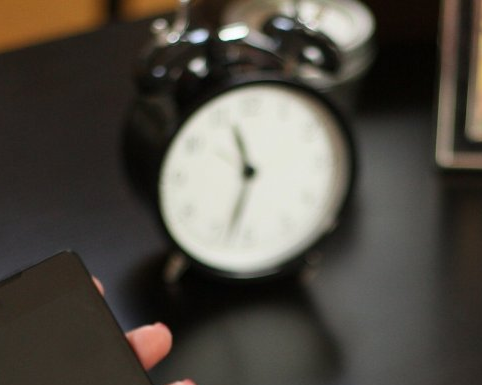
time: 11:32
